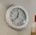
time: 12:37
